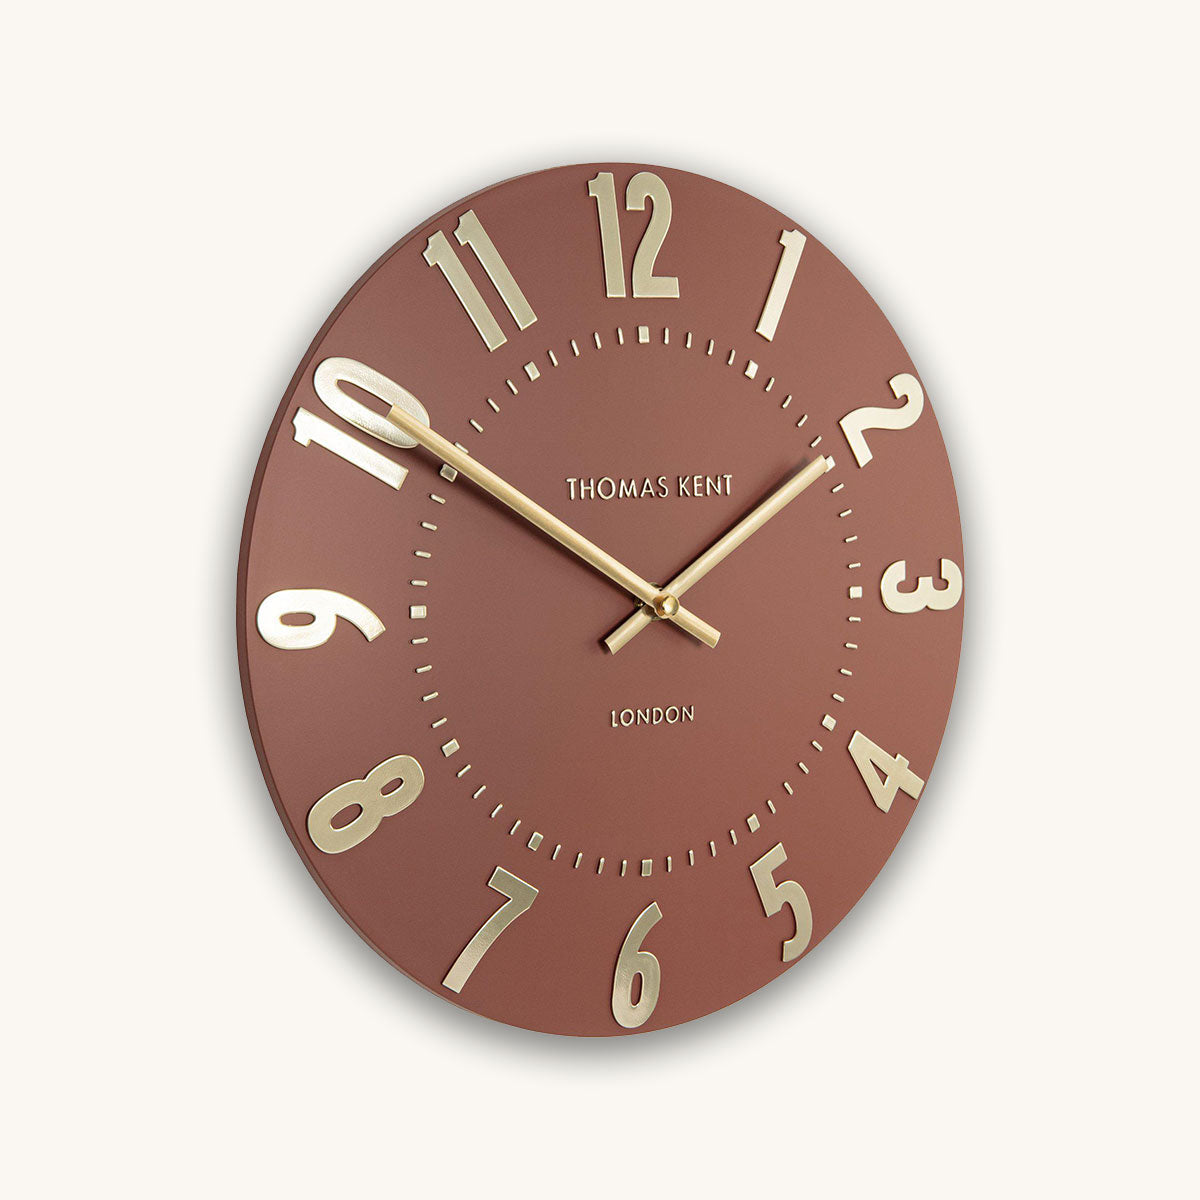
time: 1:50
